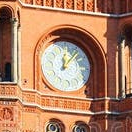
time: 12:06
